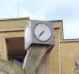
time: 7:36
